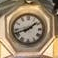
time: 1:41
